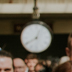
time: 12:40
